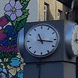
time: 11:16
